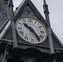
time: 10:24
